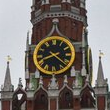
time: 8:21
